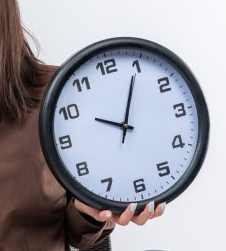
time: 10:04
